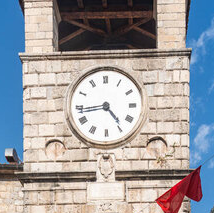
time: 4:43
